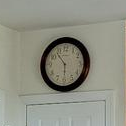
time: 5:53
